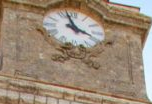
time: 3:57
